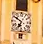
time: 6:50
